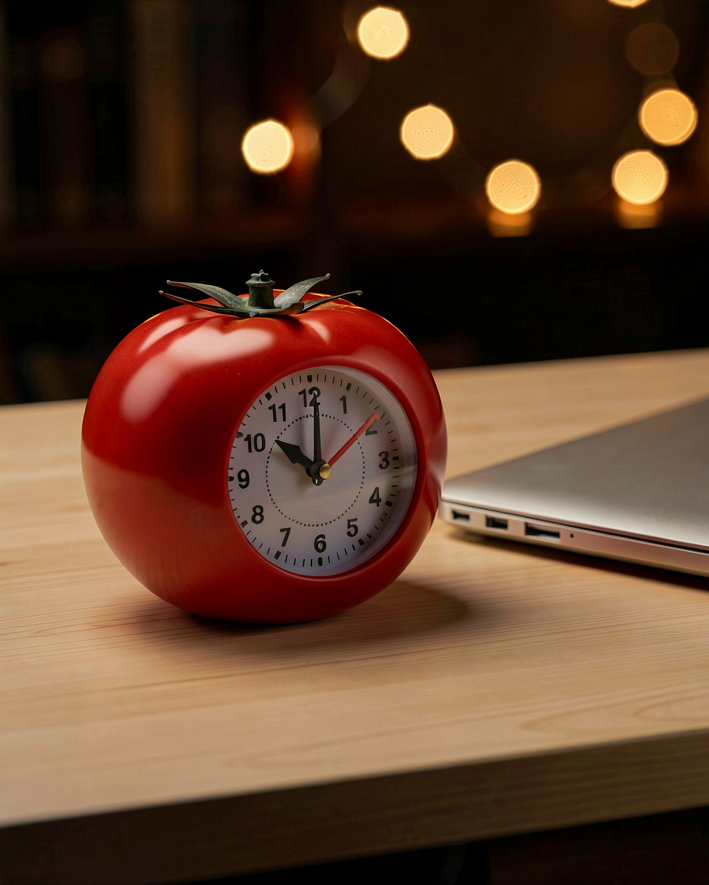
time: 10:00
